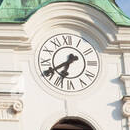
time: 6:40
